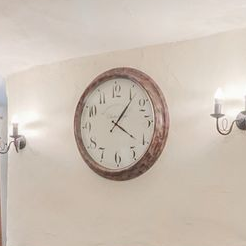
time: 1:21
